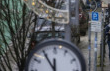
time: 11:54
